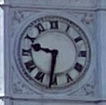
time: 9:31
